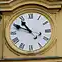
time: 10:49
